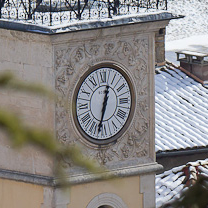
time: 12:32
